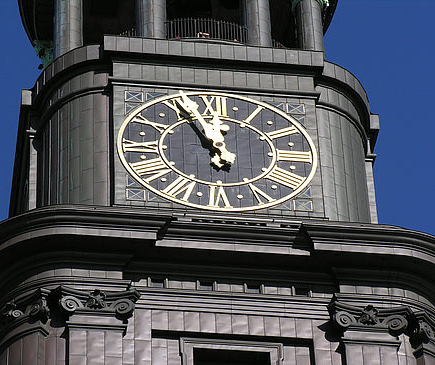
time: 11:55
